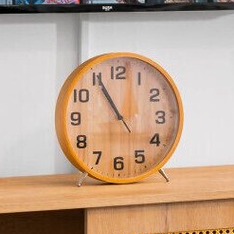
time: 10:55
